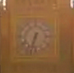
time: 6:32
